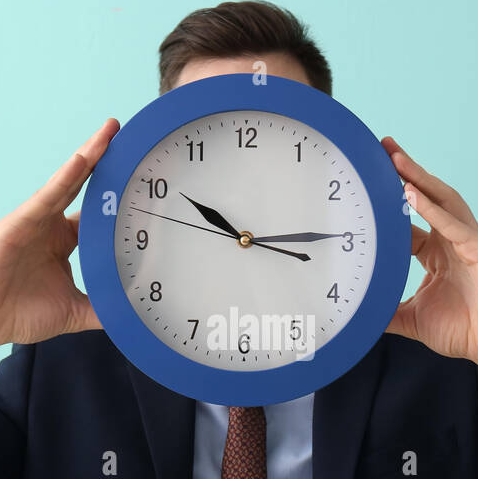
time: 10:14
